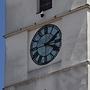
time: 2:18
